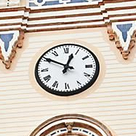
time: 12:50
